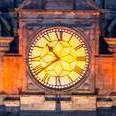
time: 10:39
